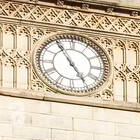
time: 4:54
